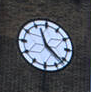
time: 11:21
